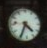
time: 4:34
